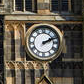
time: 2:11
